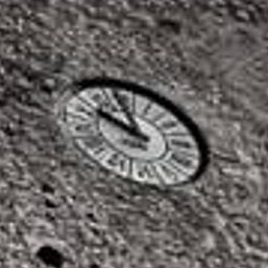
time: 9:57
